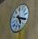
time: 5:18
